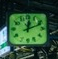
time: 12:11
